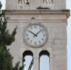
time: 10:07
